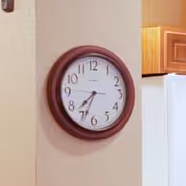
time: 7:33
